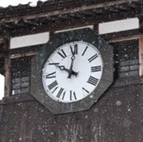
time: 10:00
